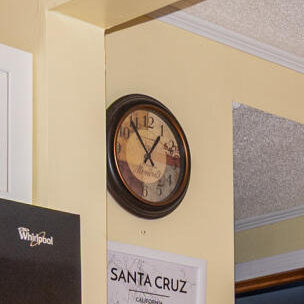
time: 12:53
